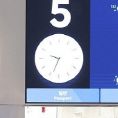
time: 9:33
